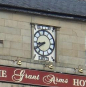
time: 8:39
